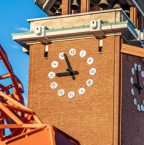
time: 8:56
